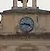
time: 3:43
